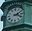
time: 2:18
